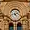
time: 4:42
